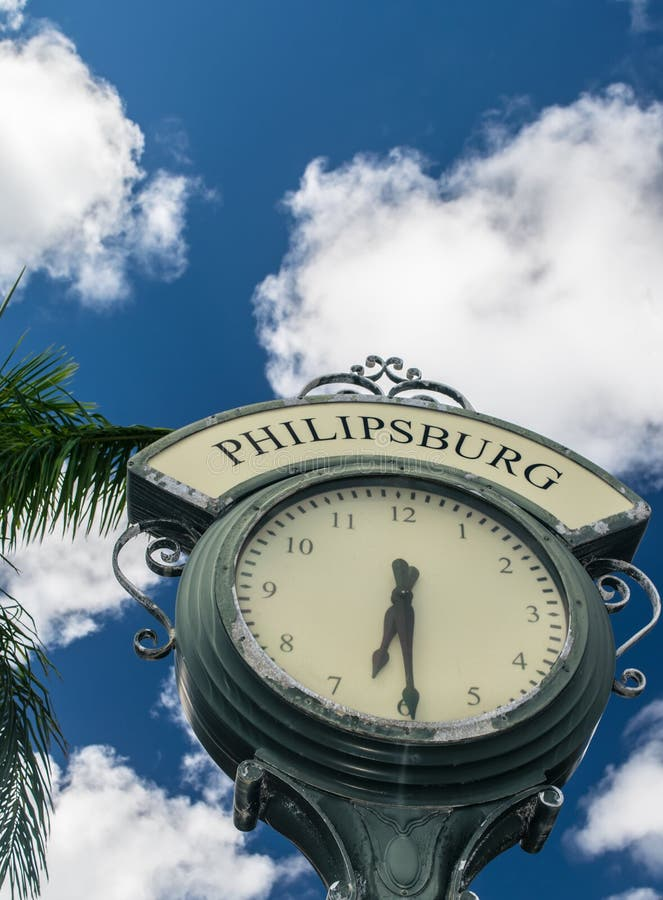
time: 6:29
